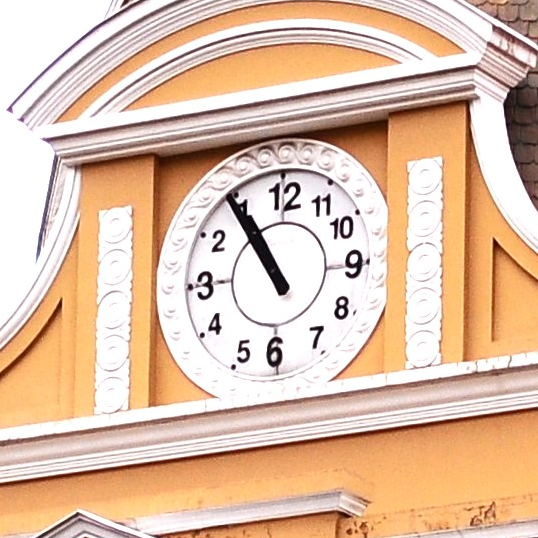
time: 10:54
